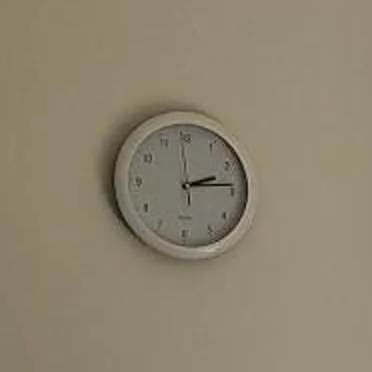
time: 2:13
